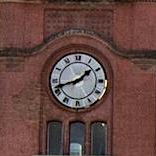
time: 1:42
